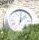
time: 12:07
